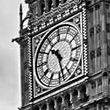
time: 10:28
